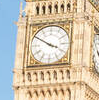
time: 3:50
